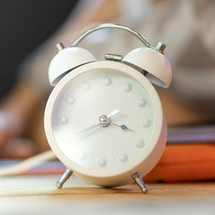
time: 3:40
